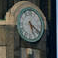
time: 5:20
